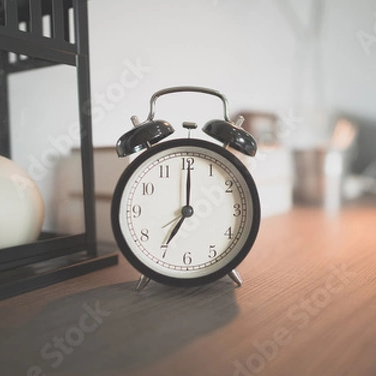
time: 7:00
